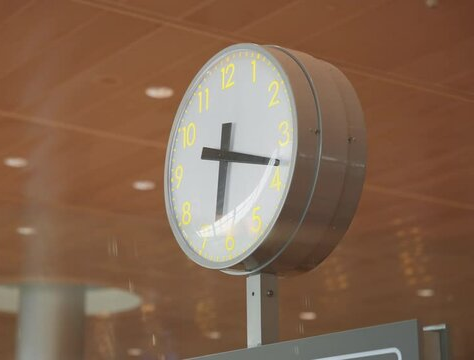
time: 6:18
